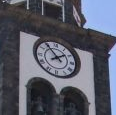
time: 1:53
